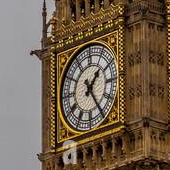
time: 1:24
